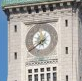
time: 7:38
